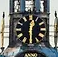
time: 12:30
